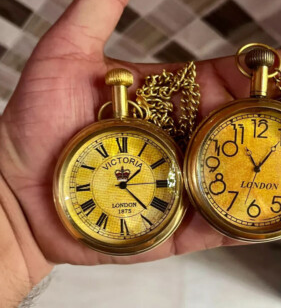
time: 1:22
